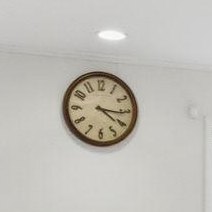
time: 4:15
